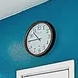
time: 10:45
